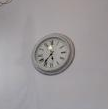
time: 5:36
